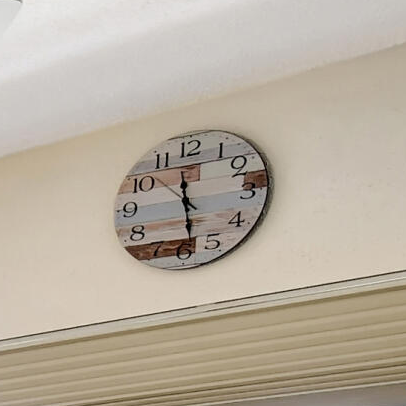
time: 11:28
